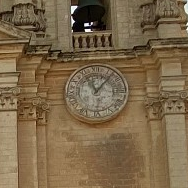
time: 11:06
